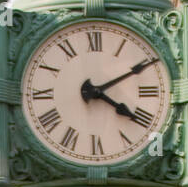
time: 4:10
